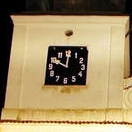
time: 10:00
